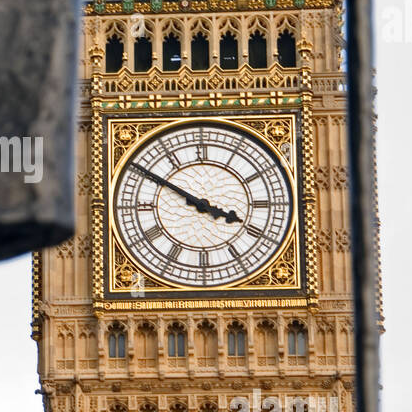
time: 3:50
